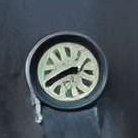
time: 2:40
